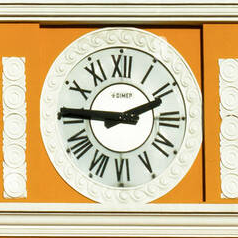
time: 9:11
